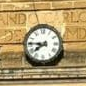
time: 7:46
